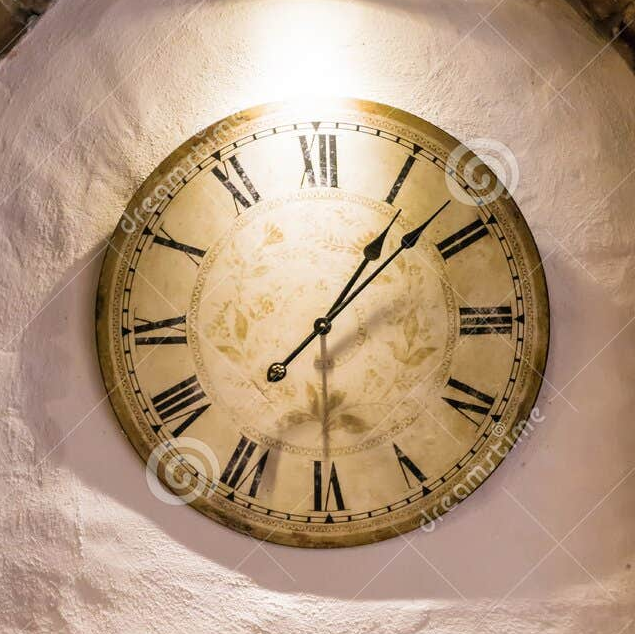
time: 1:08
